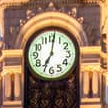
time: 7:01
